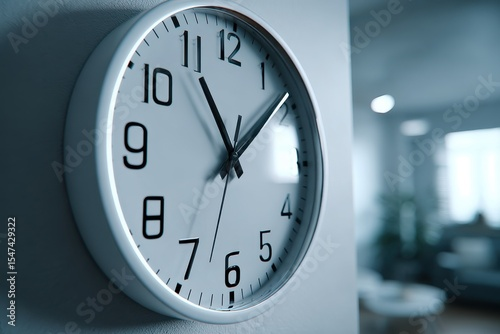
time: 11:08
